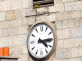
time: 4:14
